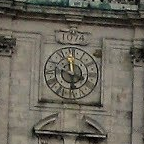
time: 3:29
